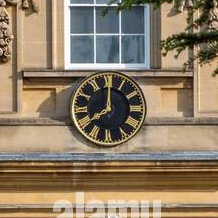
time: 8:00
